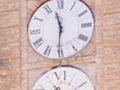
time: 11:30
